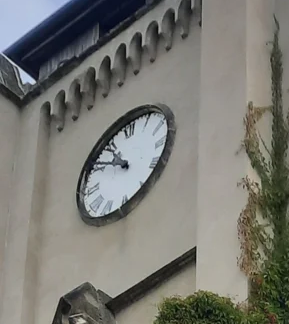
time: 10:50
